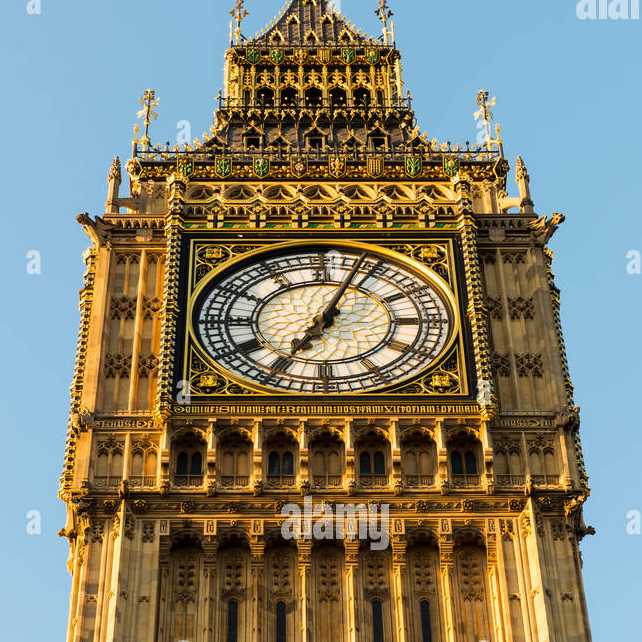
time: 7:03
